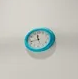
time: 11:42
